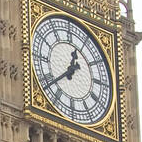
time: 12:38
